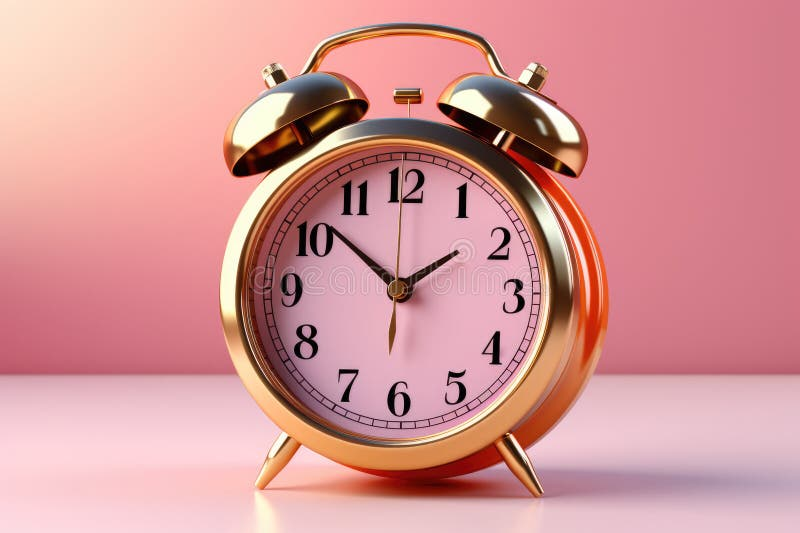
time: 1:51
